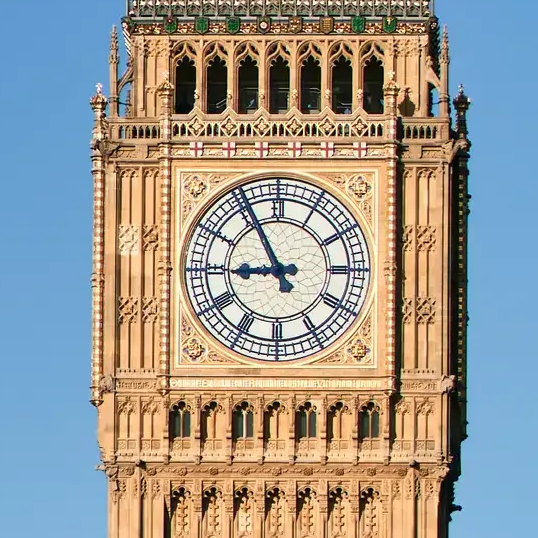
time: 8:55
